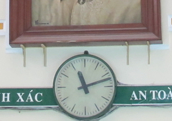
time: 11:12
